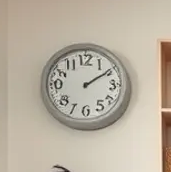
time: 2:09
